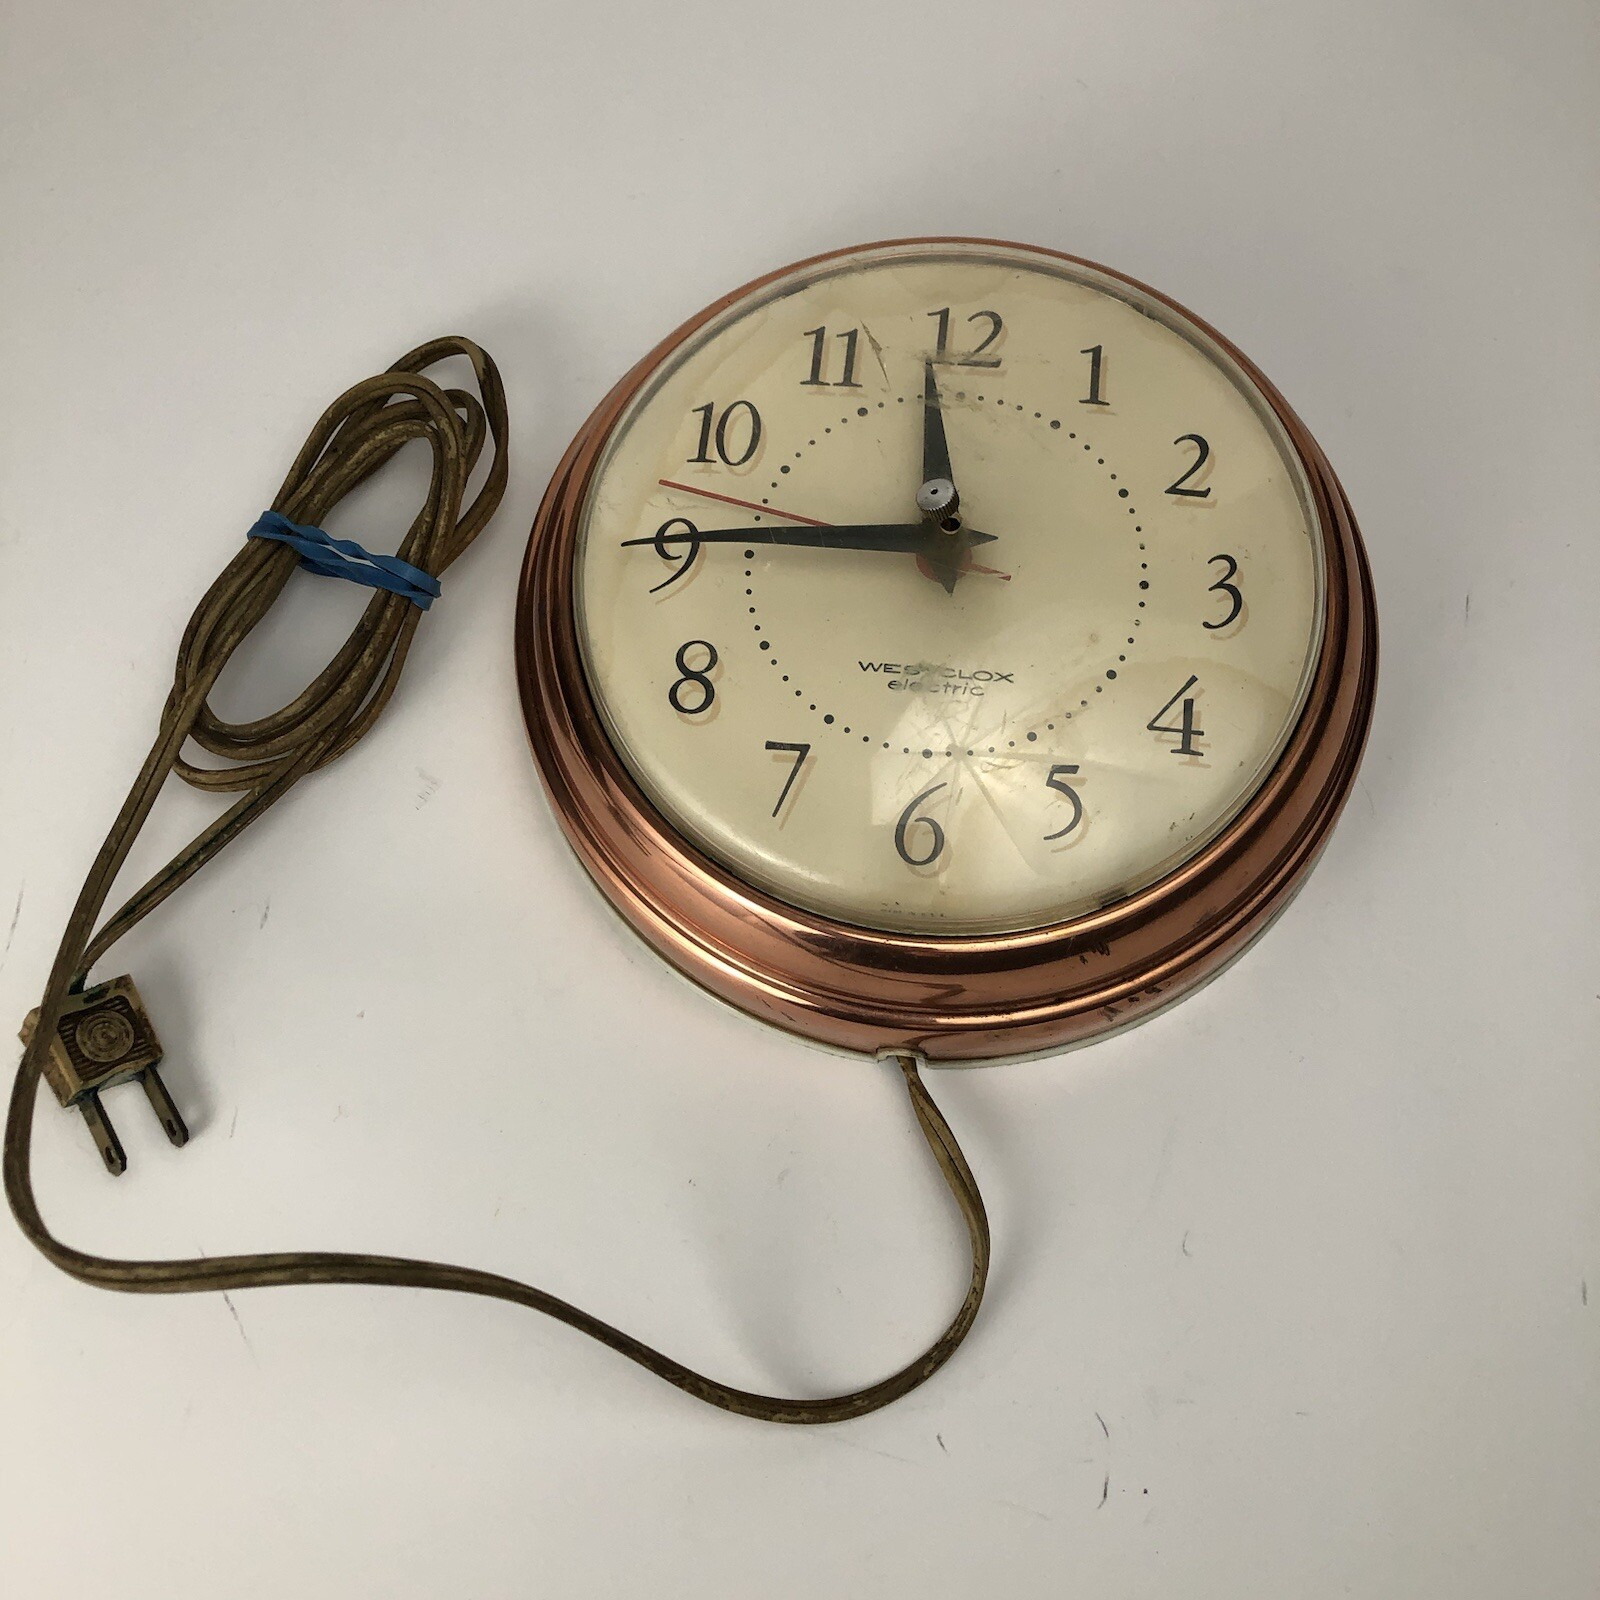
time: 11:45
